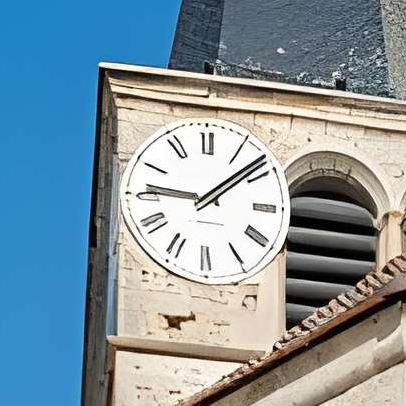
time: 9:08
